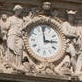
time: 2:59
